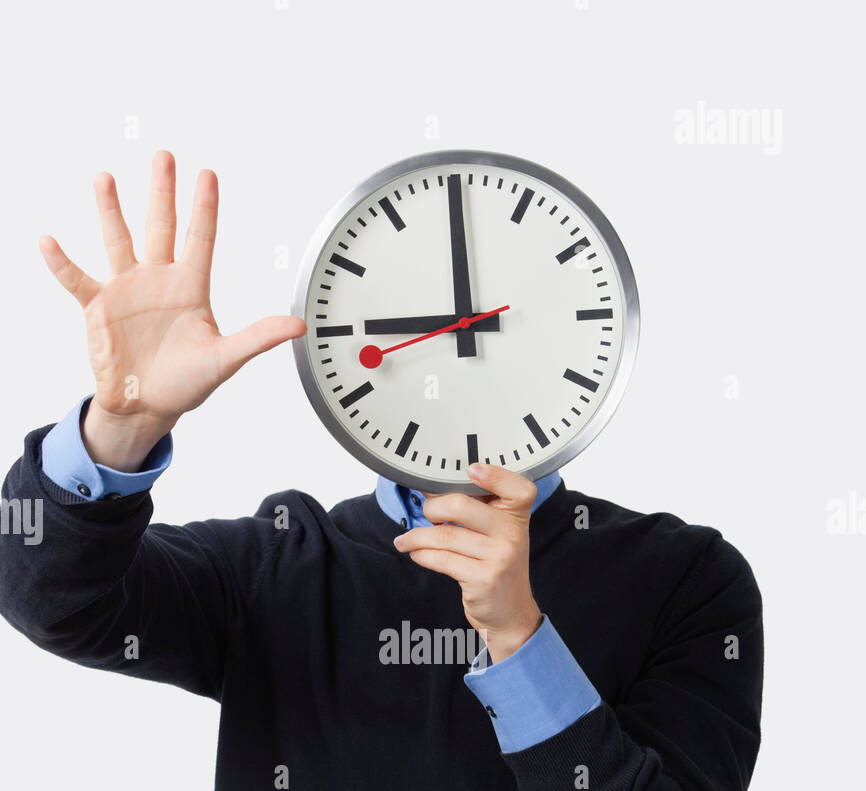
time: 8:59
